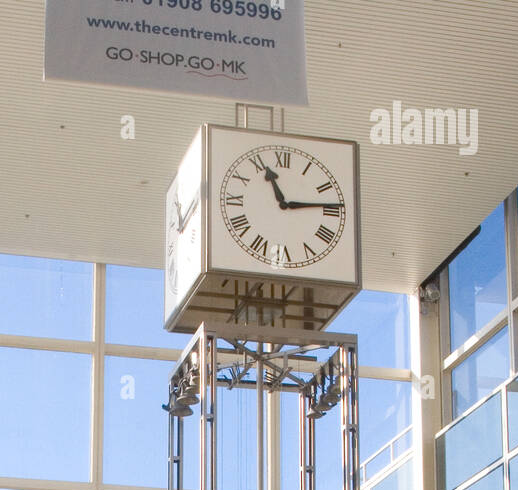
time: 11:13
